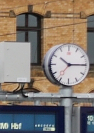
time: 10:14
